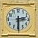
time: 2:29
